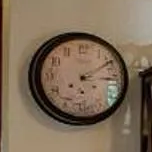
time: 3:09
